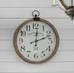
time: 12:11
